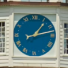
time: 1:12
